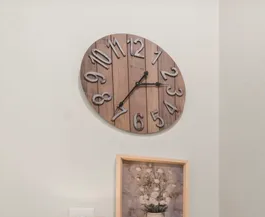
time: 2:36
